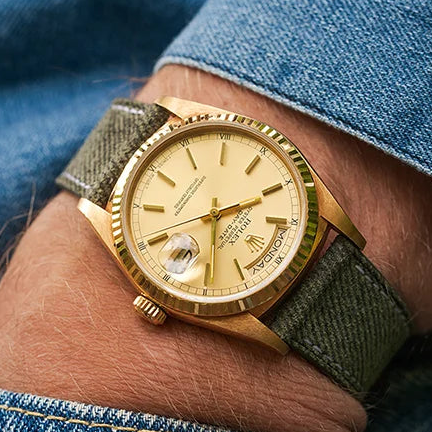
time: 2:29
